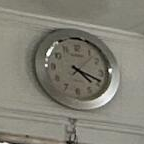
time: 4:18
